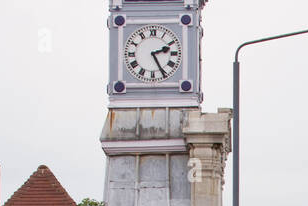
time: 2:25
